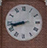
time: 8:42
